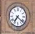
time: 7:21
